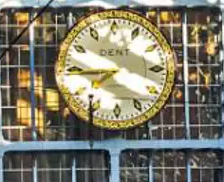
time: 7:44
